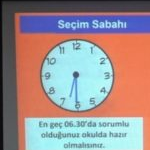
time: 6:29
